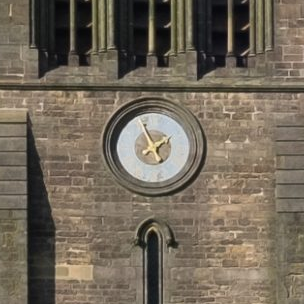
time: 1:56
